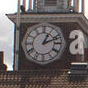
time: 1:11
